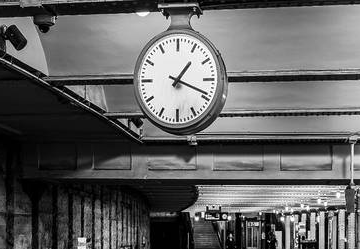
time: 1:18
